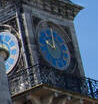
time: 10:00
